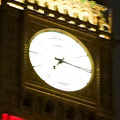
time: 7:15
